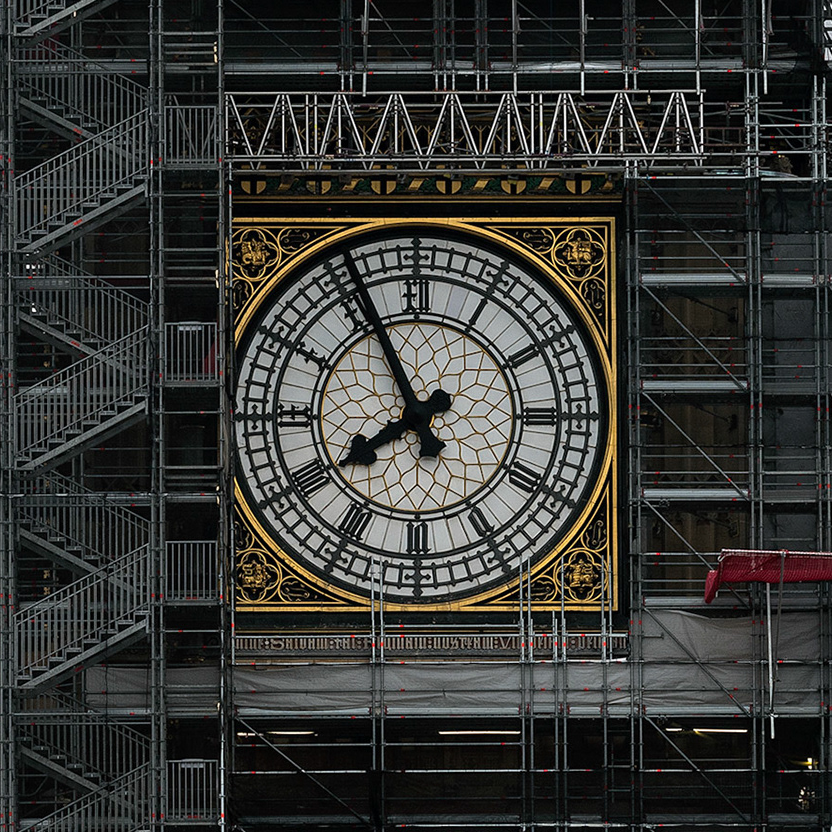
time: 7:55
